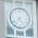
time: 7:24
